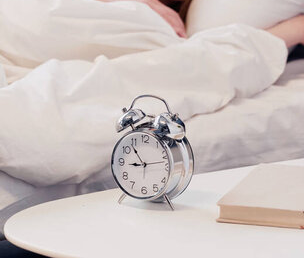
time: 8:53
